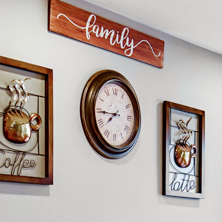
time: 7:44
